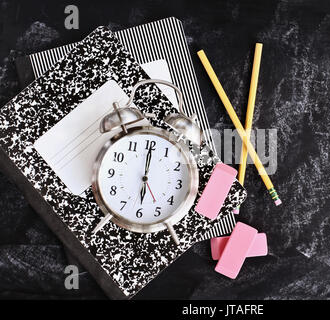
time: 6:00
